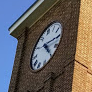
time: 4:14
